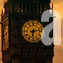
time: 6:13
